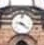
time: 9:22
